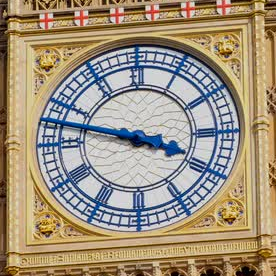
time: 3:47
